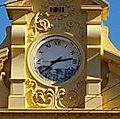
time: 2:38
